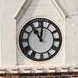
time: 11:01
